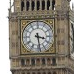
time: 3:28
